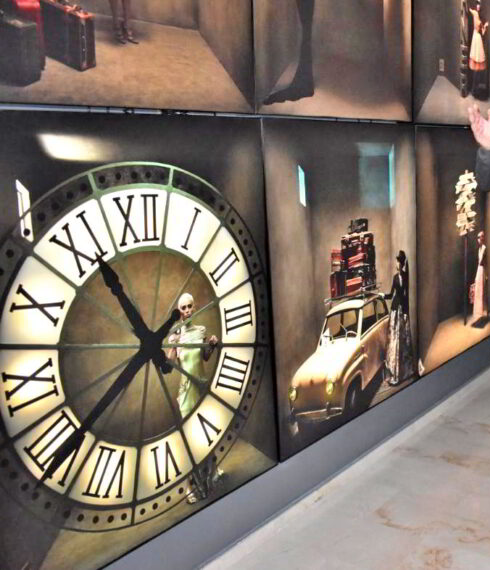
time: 10:39
